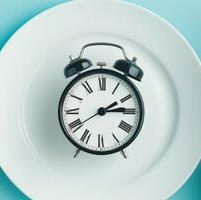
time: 2:14
